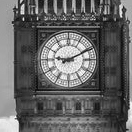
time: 9:10
